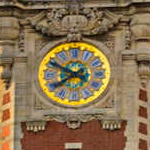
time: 7:49
